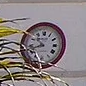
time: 10:41
